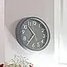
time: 10:36
